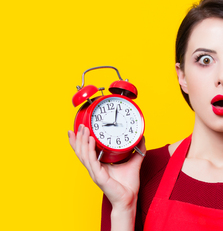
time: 9:03
